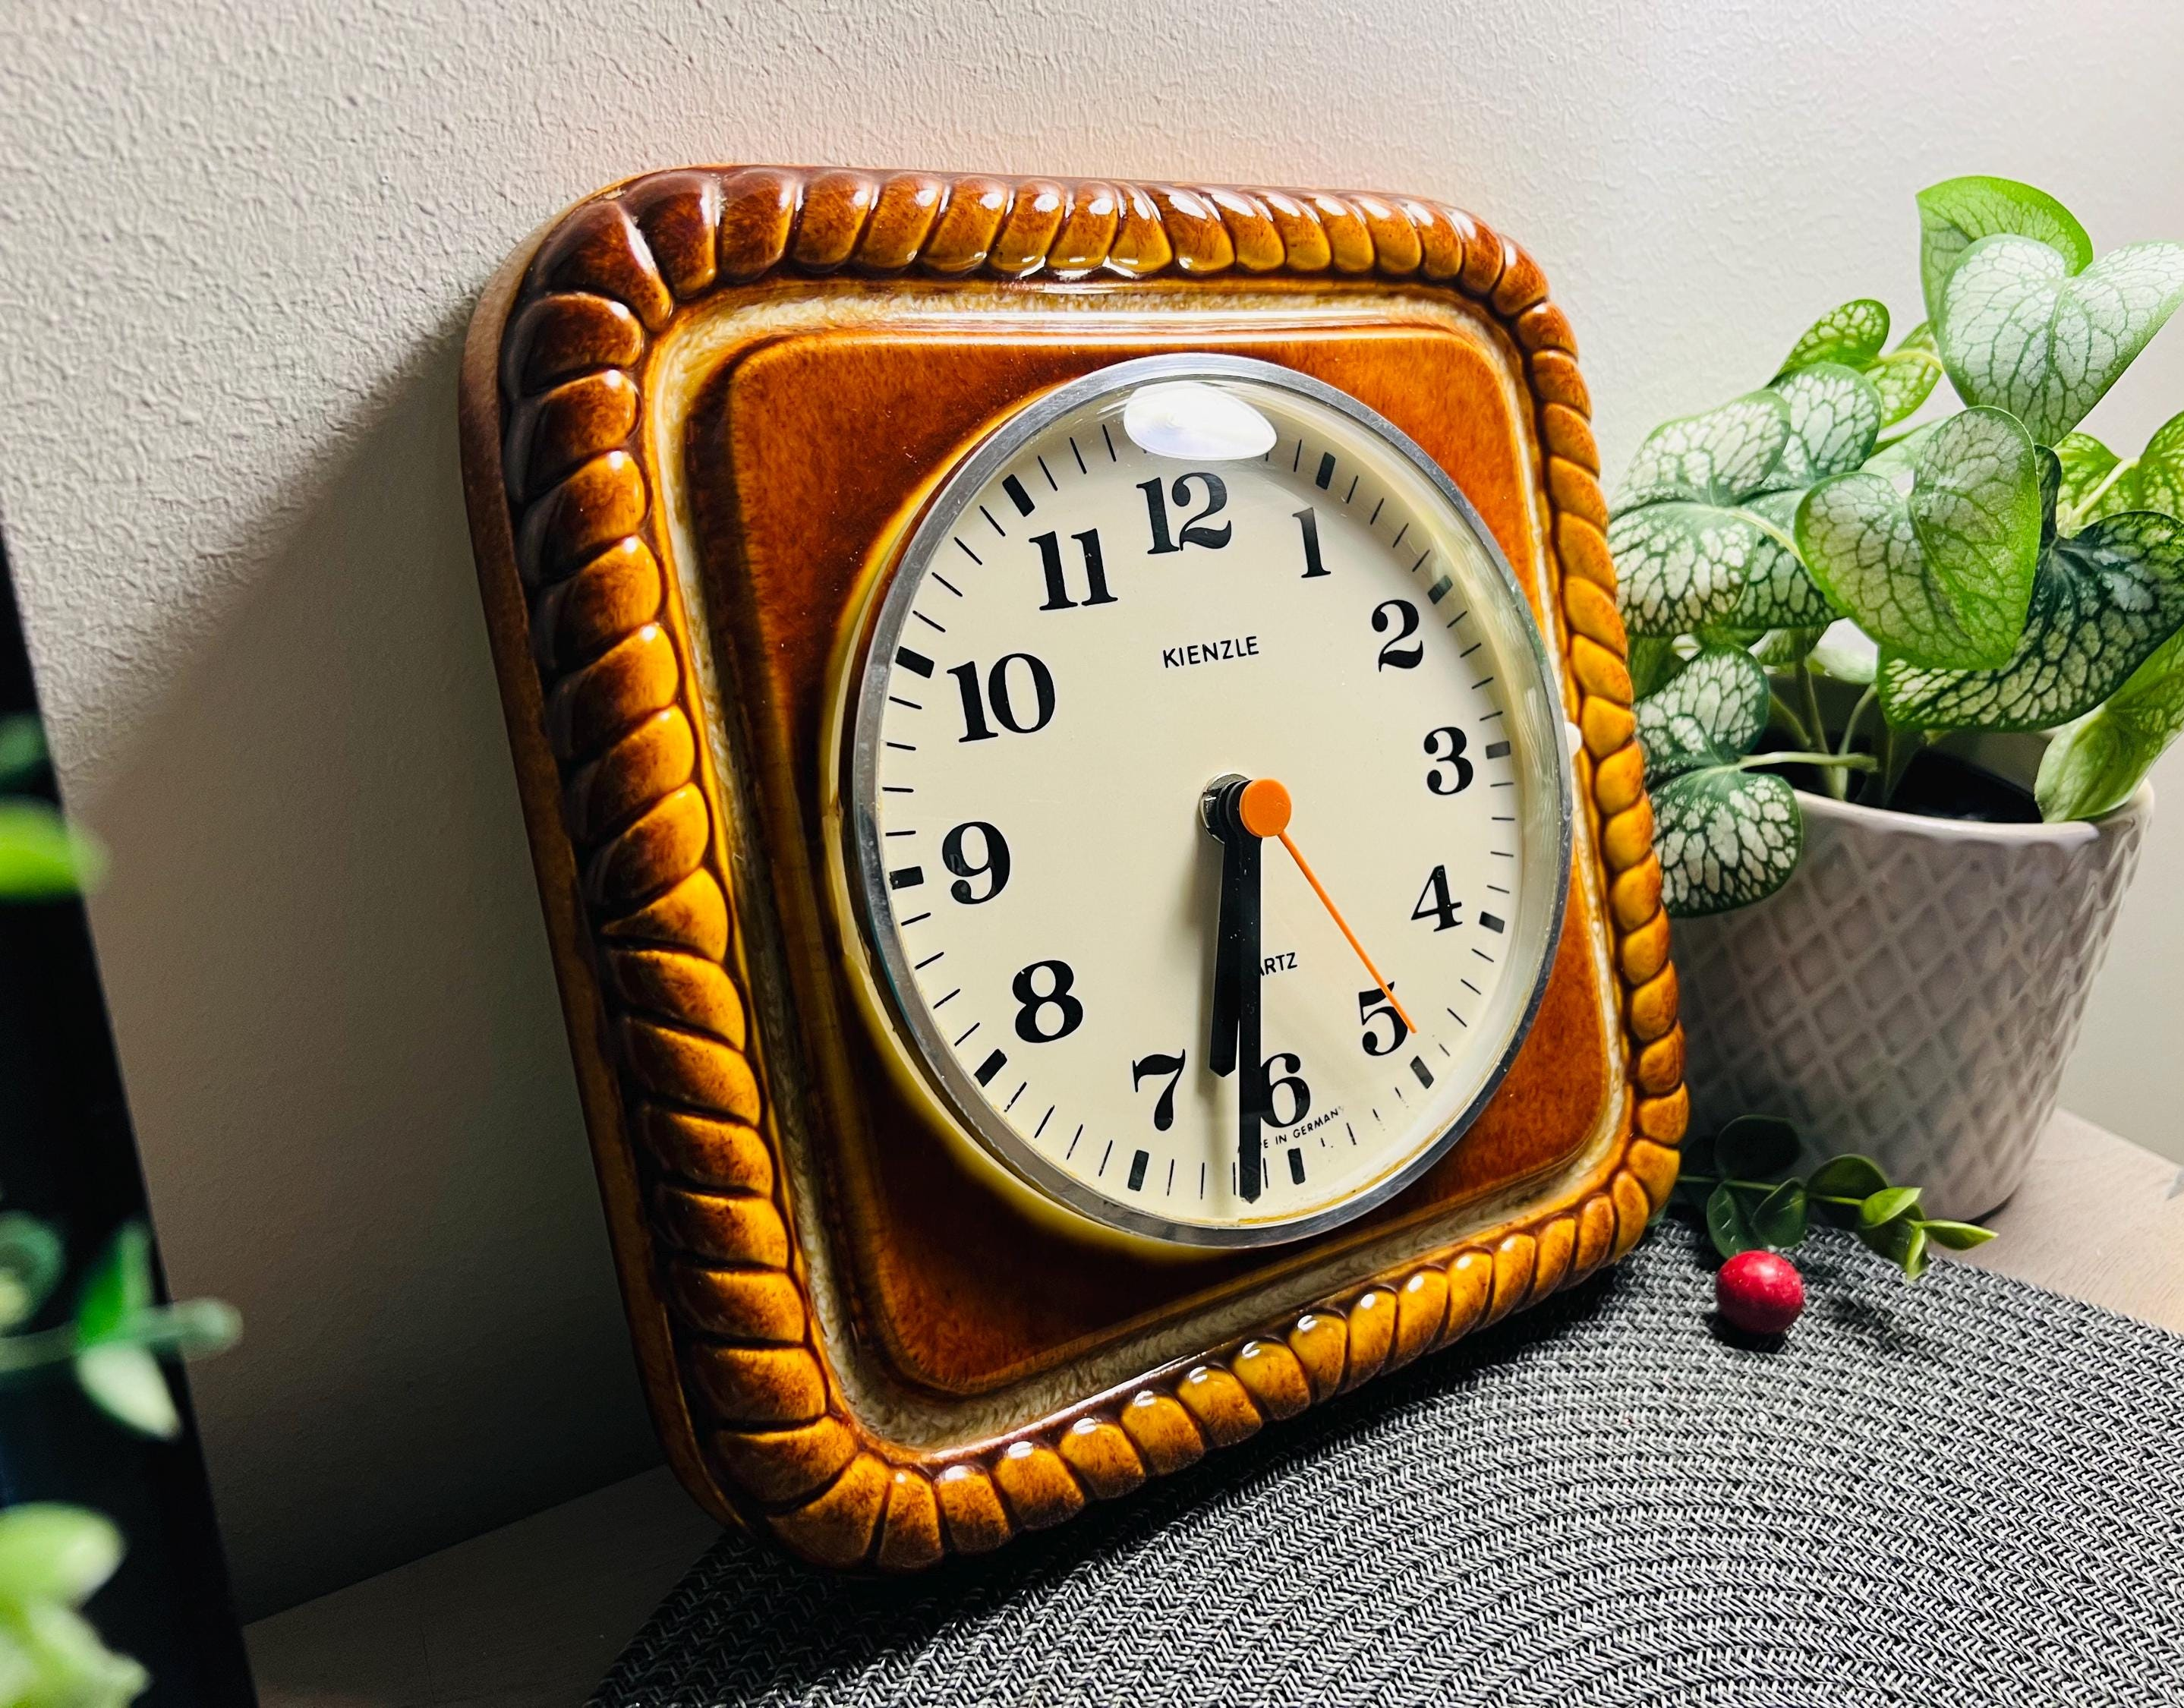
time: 6:31
